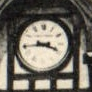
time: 3:43
